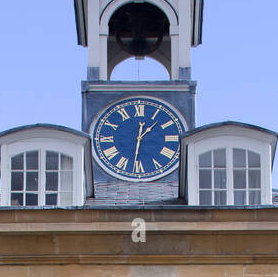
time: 1:31
